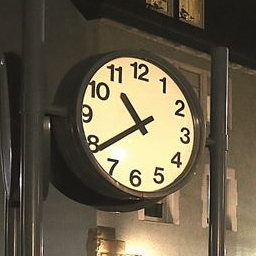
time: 10:38
